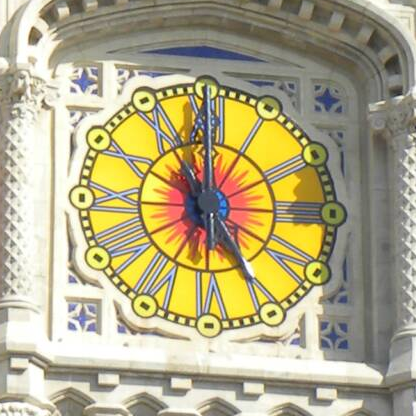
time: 5:00
